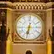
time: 6:32
